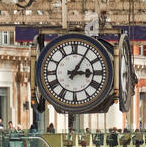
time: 3:05
